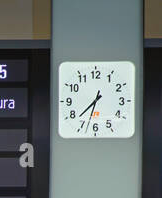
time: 7:32
